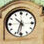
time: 10:33
